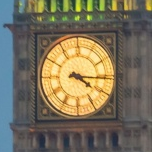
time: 4:15
